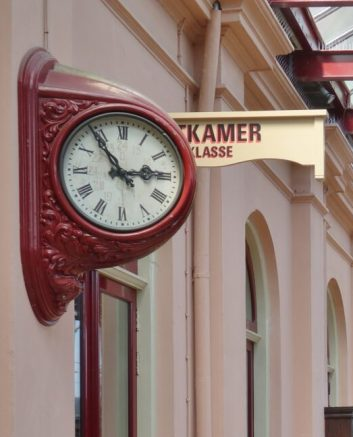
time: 2:54
